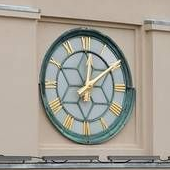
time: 12:09
